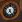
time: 7:25
